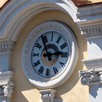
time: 2:54
